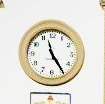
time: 11:24
